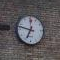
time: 6:47
